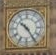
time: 10:24
